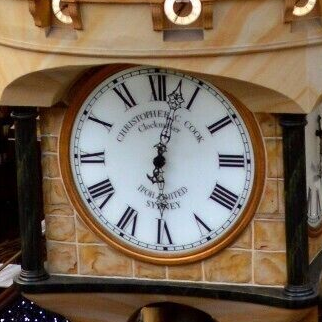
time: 6:02
